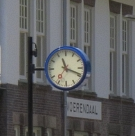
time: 11:18
